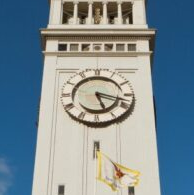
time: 5:18
